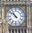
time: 10:51
